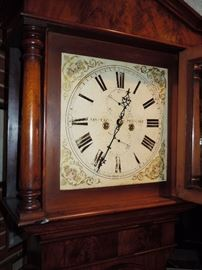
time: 12:34
